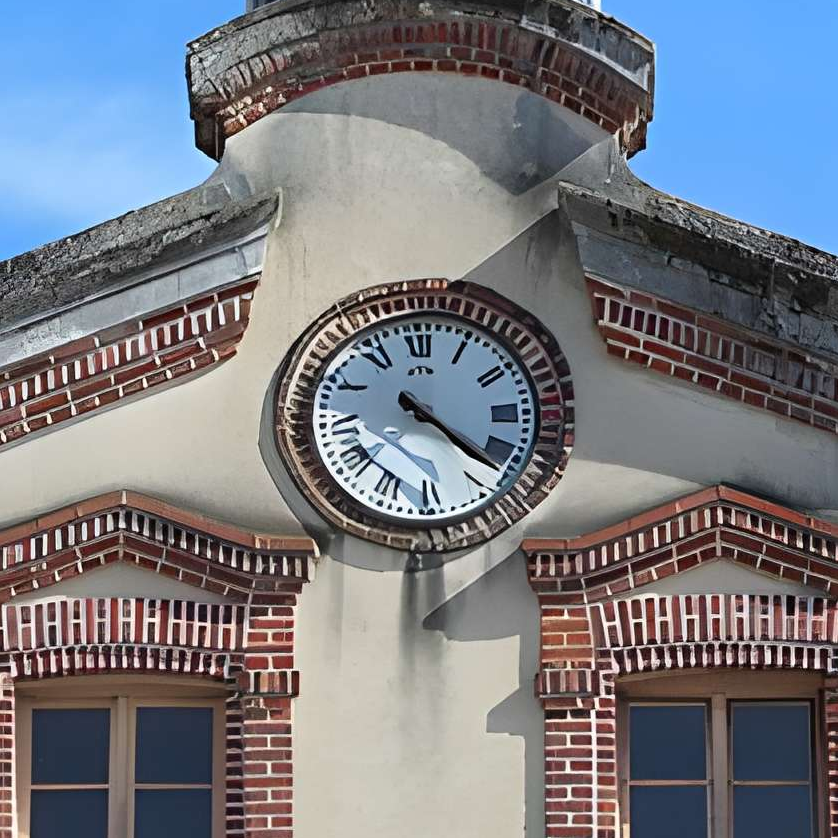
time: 4:22
